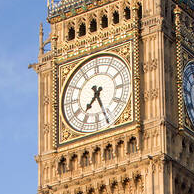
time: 7:26
